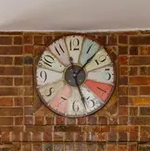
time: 1:26
